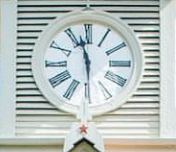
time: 11:29
